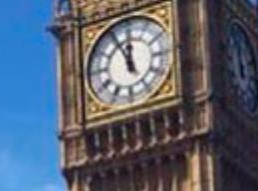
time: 11:55
